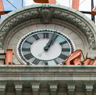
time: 1:03
